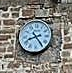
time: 8:24
